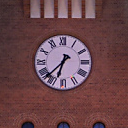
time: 6:37
